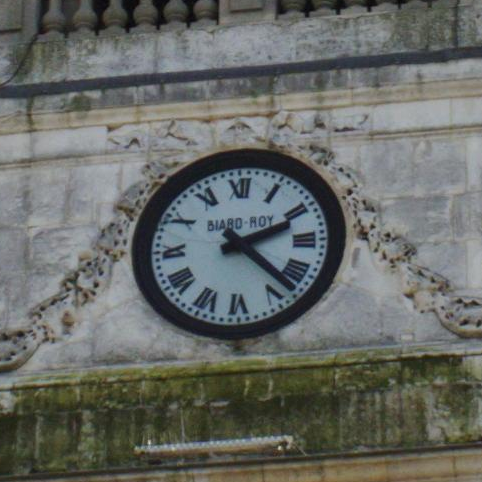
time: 2:22
